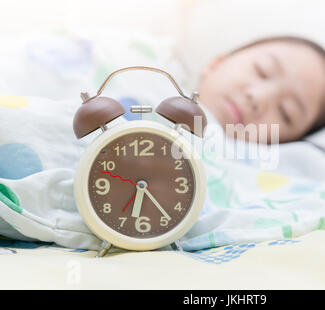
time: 6:23
